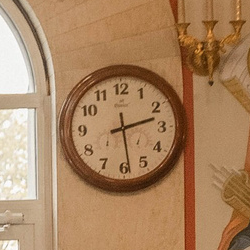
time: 2:28
